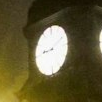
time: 9:10
